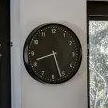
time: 8:26
